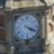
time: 4:18
